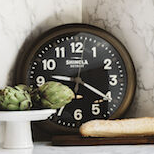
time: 9:20
